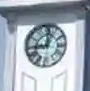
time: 9:01
